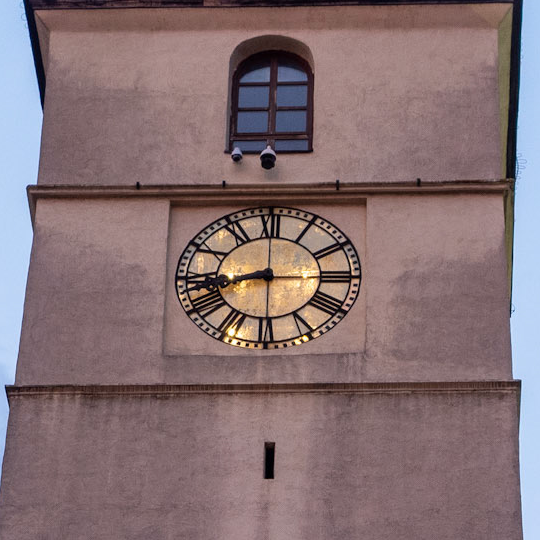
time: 8:15
